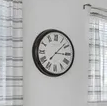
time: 3:07
